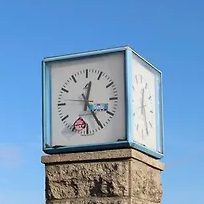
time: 12:24
